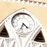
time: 4:33
